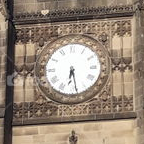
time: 6:28
